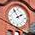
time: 1:56
